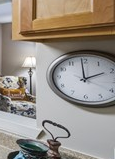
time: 1:59
